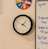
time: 4:07
